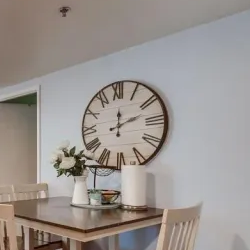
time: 12:12
